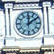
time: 12:09
